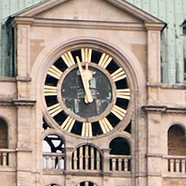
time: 11:56
